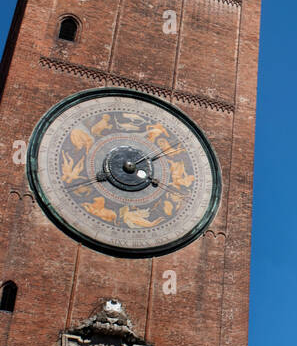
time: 3:09
